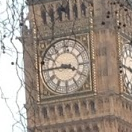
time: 3:44
